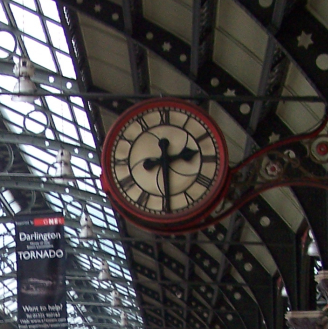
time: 2:29
